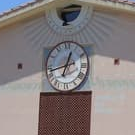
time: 12:42
